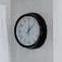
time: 12:07
